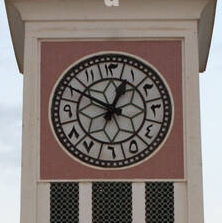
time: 12:50
